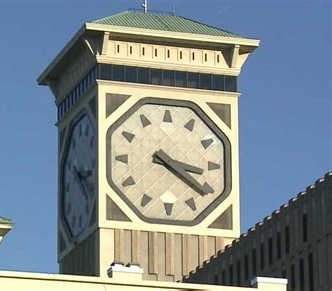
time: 3:21
